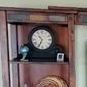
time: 10:34
